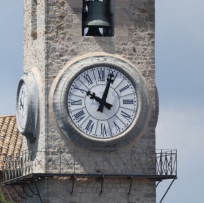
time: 10:03
